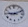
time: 9:11
